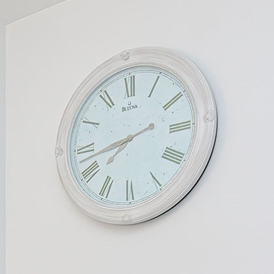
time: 7:42
